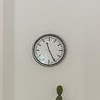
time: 11:25
